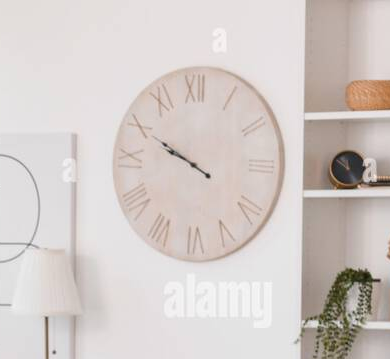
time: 9:50
